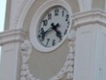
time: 4:41
